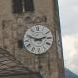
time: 2:48
